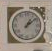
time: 1:08
